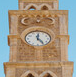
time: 12:24
